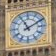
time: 11:09
